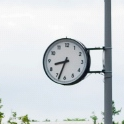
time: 8:33
